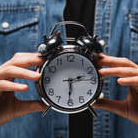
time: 2:30
